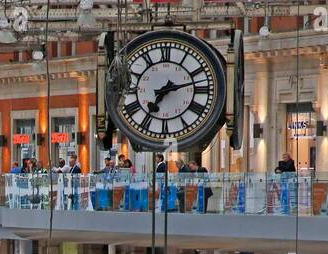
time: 7:12
